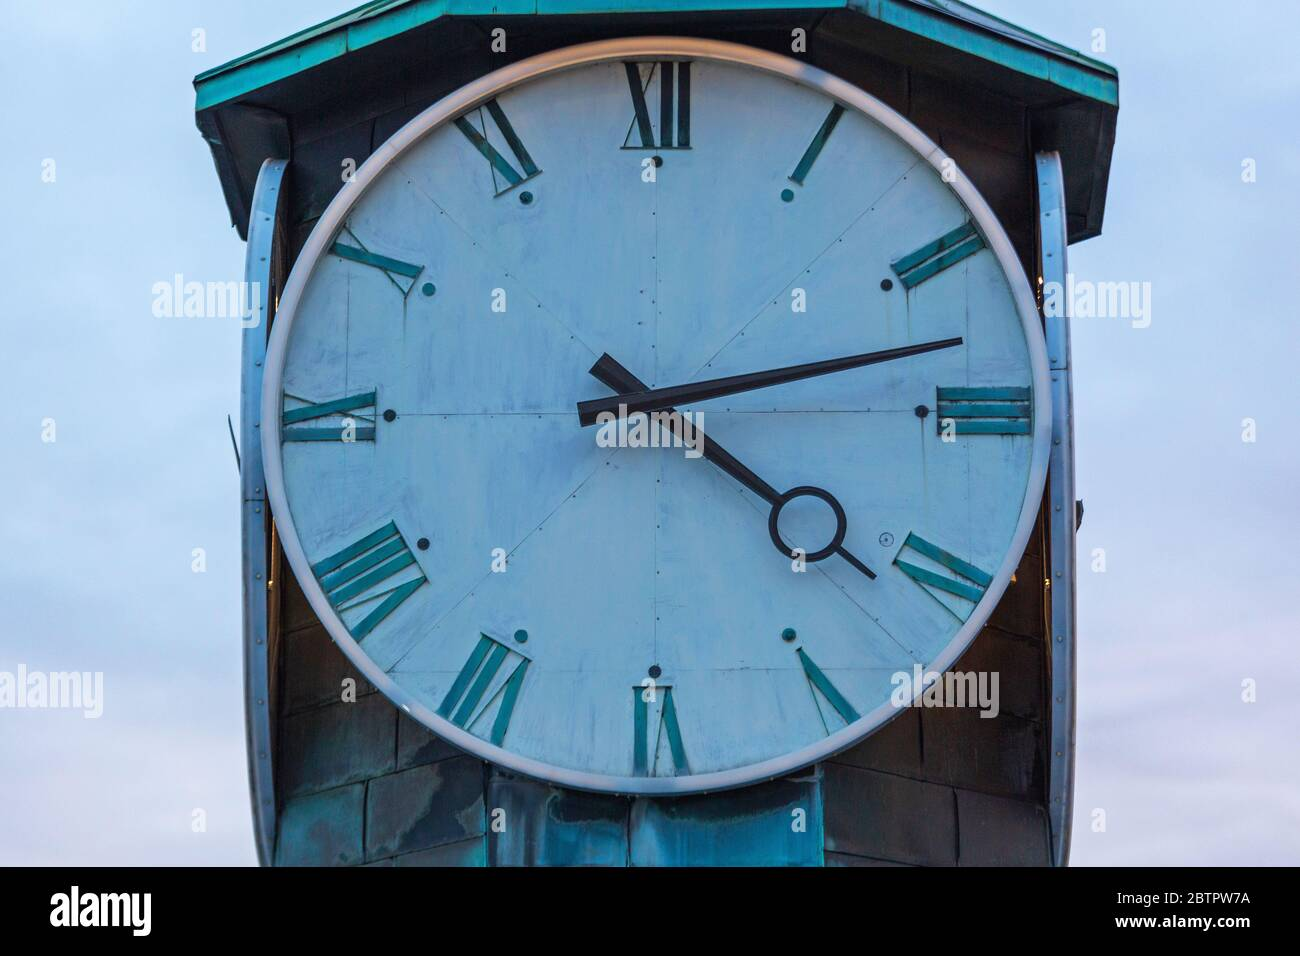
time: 4:12
